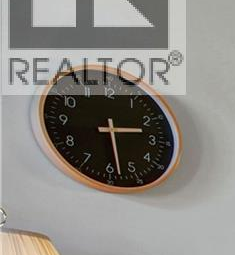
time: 2:28
